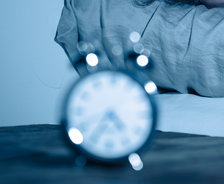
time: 4:35
